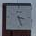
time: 3:27
